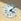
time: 4:07
